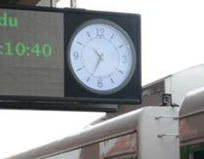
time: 10:34
